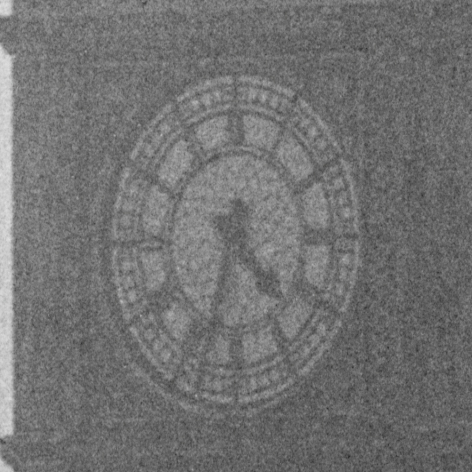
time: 4:33
